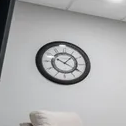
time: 1:20
